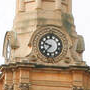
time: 9:36
